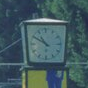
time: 10:50
